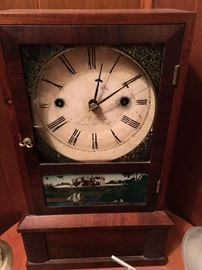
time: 2:02
